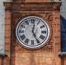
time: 5:01
